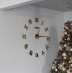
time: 1:14
